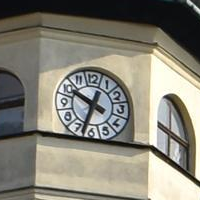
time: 9:33
